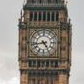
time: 4:42
